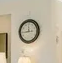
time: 11:43
